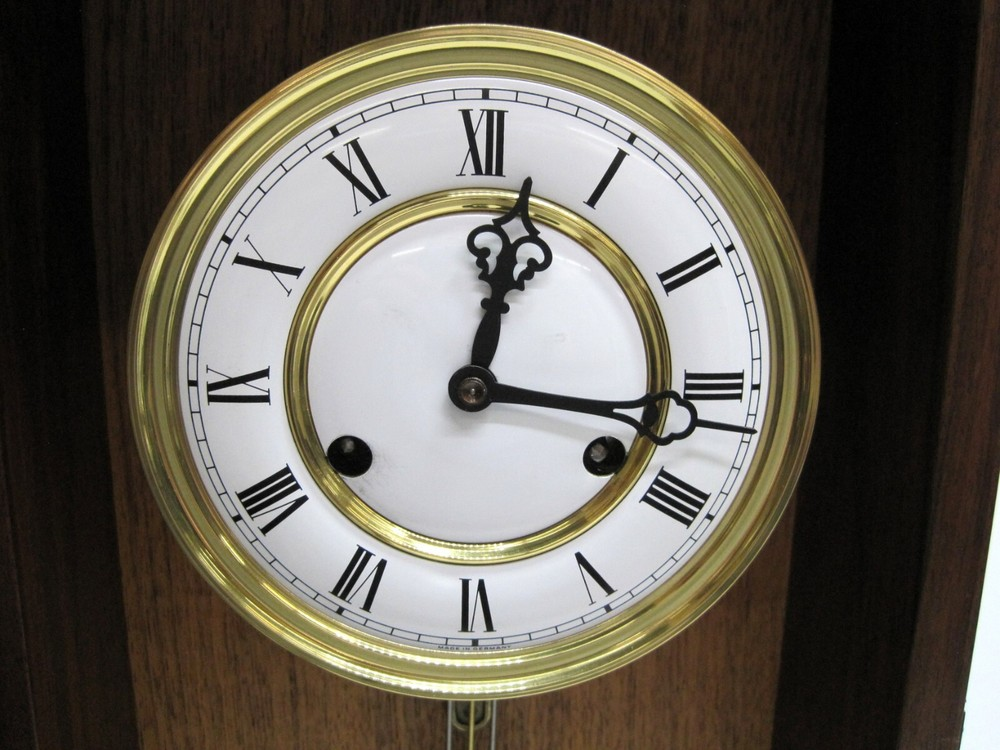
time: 12:16
